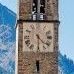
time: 4:29
